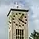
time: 4:04
